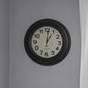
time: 1:01
